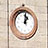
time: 1:01
